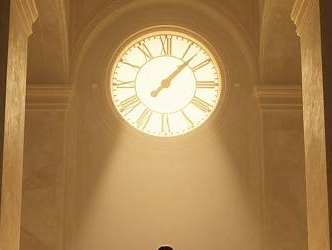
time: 1:07
